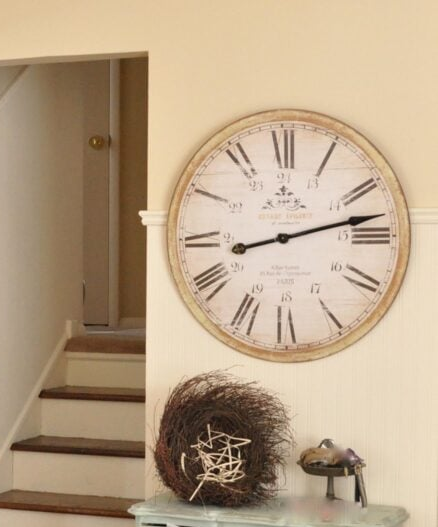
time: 8:12
